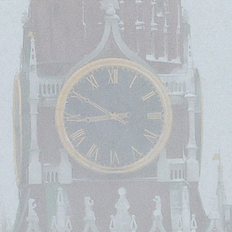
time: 8:50
